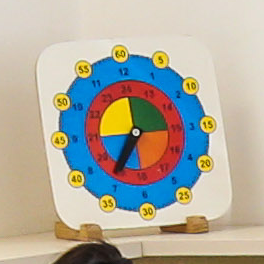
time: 7:00
